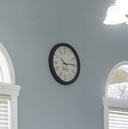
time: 10:14
